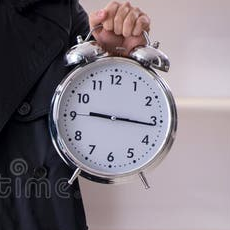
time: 9:16
